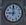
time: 8:59
